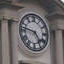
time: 4:46
